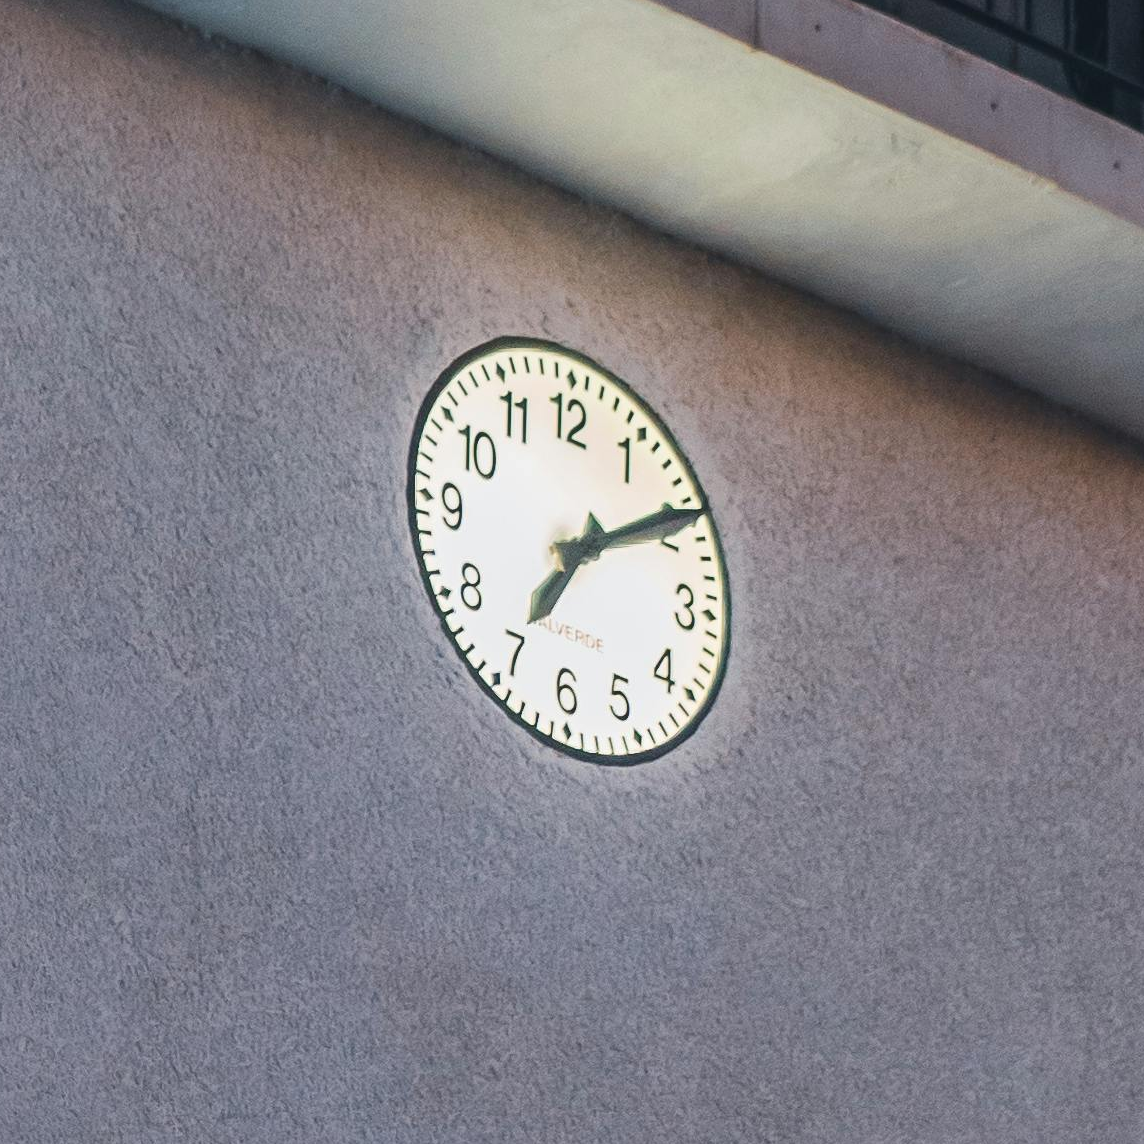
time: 7:09
